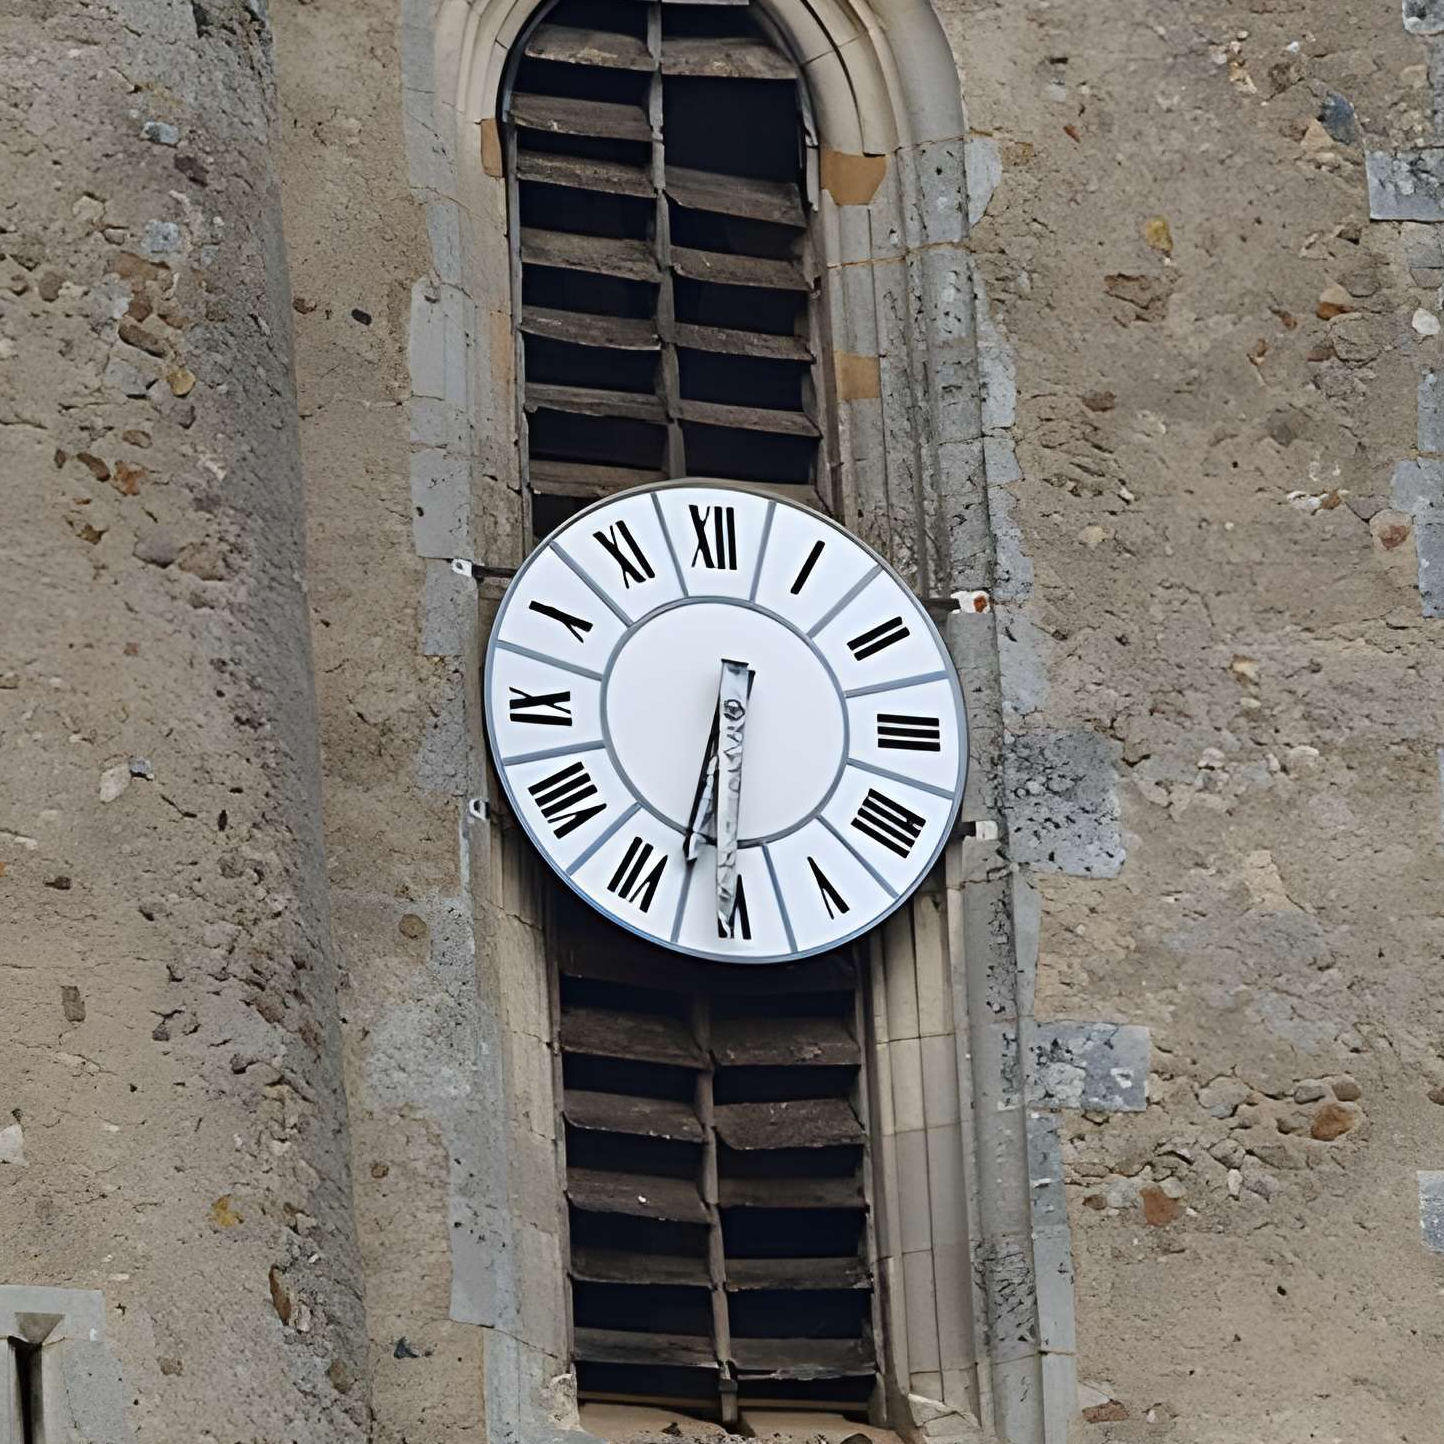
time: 6:32
